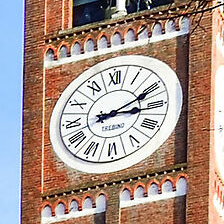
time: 3:11
